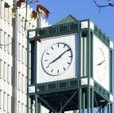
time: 8:09
